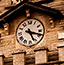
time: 5:18
